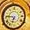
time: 6:46
